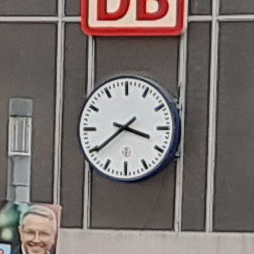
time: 3:39
